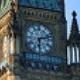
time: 6:12
